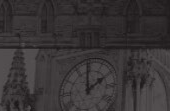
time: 1:59
